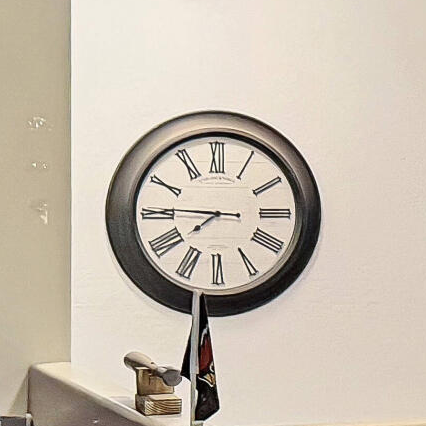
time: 7:45
